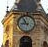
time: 8:54
